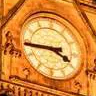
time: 3:44
